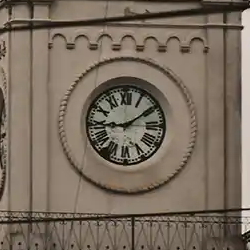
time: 9:09
